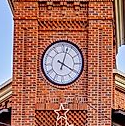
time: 4:02
